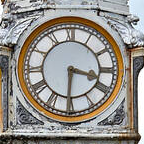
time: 3:30
